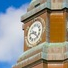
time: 9:22
